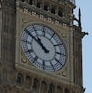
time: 10:50
